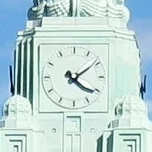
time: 4:09
